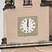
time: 12:00
